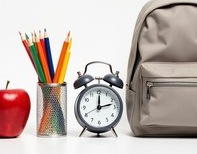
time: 12:12
